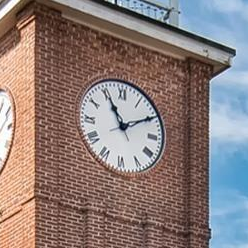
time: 11:09
